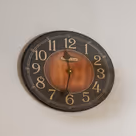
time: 11:32
